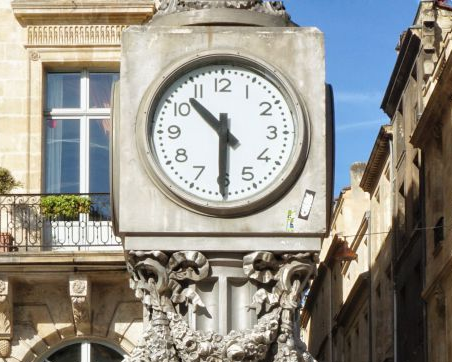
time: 10:30
